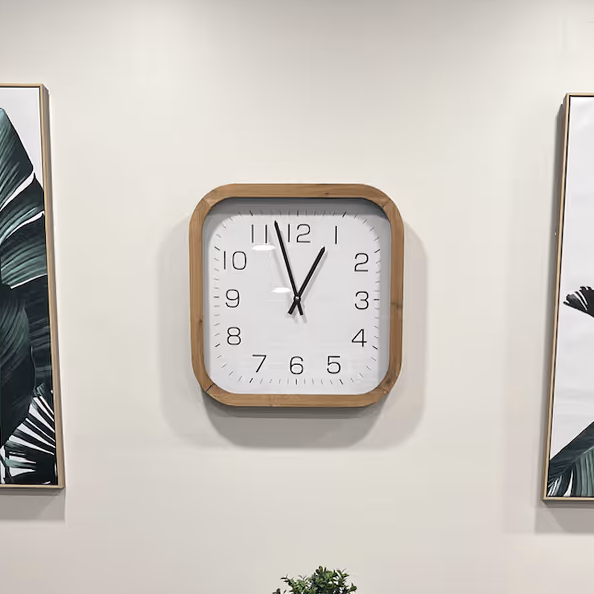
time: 12:57
